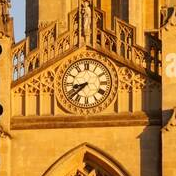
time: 8:38
